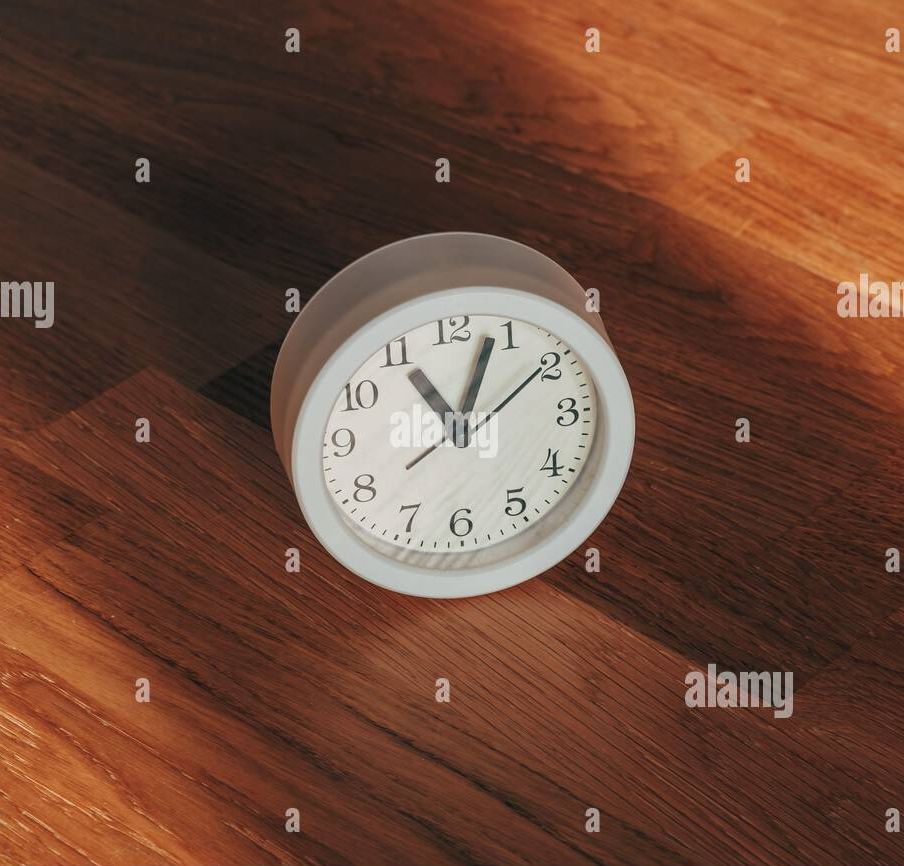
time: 11:03
